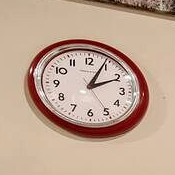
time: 2:04
